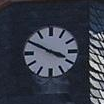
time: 3:49
